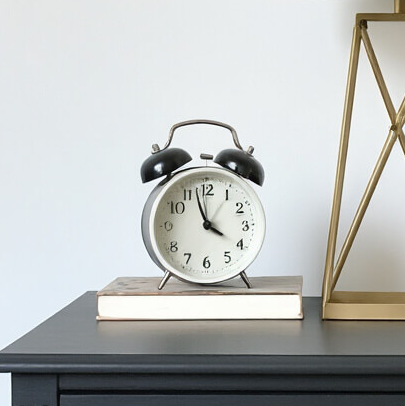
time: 3:57
